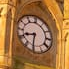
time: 8:31
